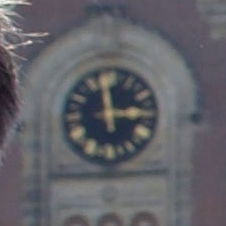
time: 2:58
